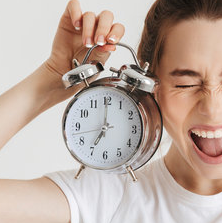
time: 7:00
